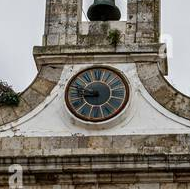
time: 8:47
